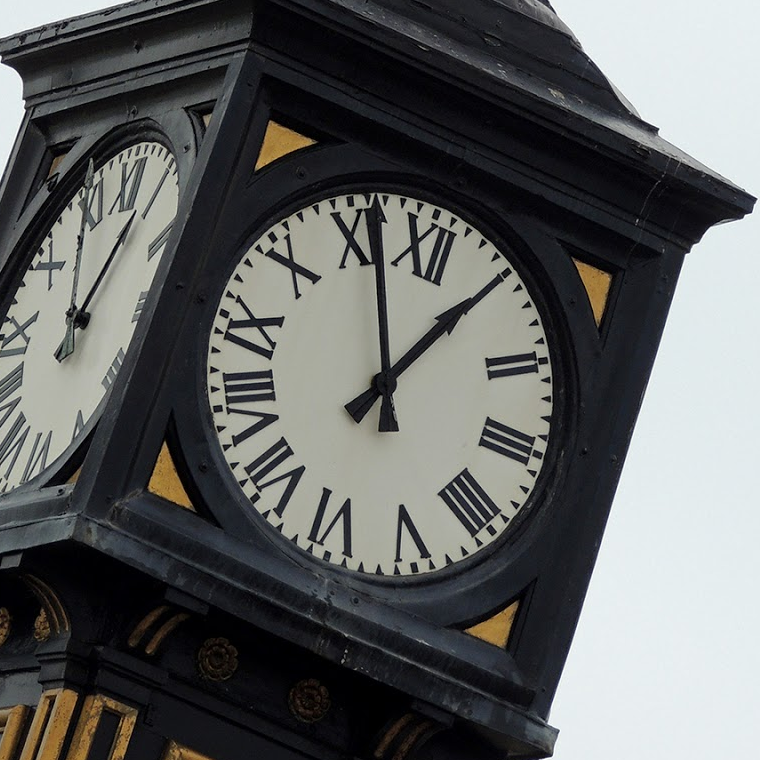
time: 12:56
